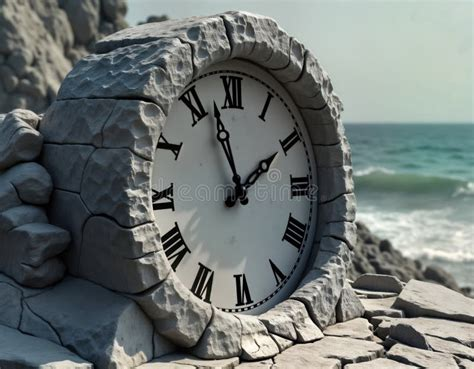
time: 1:57
